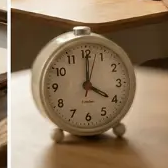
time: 4:00
